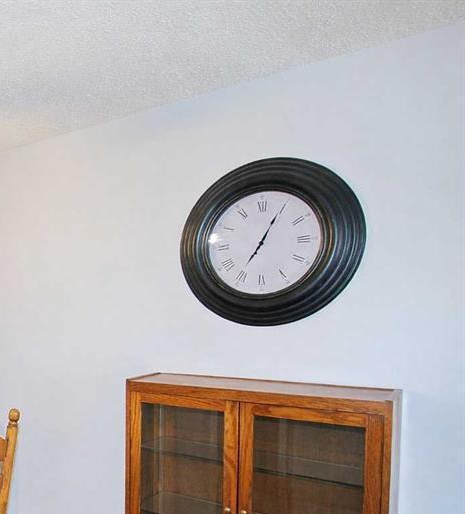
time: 7:04
